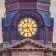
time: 8:24
